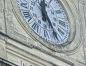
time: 12:26
